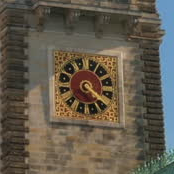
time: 4:21
